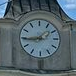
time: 1:43
